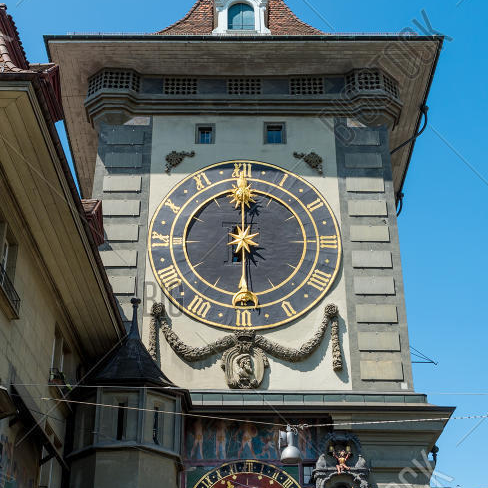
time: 5:59
